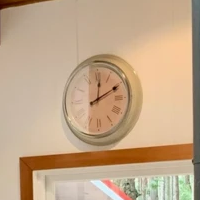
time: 12:10
